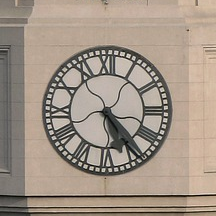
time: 5:24
